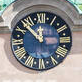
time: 11:52
